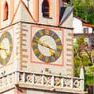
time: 3:47
